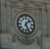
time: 1:26
